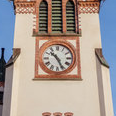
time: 10:25
